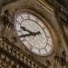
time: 9:42
